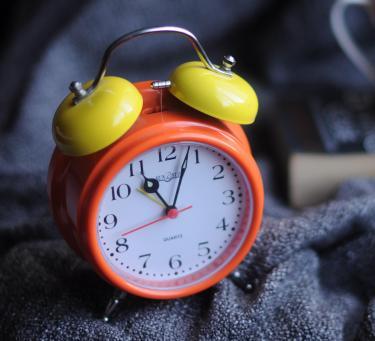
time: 11:03
